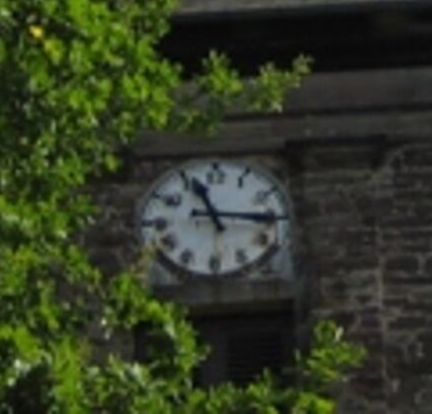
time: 11:15
